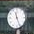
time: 11:25
